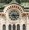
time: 5:14
